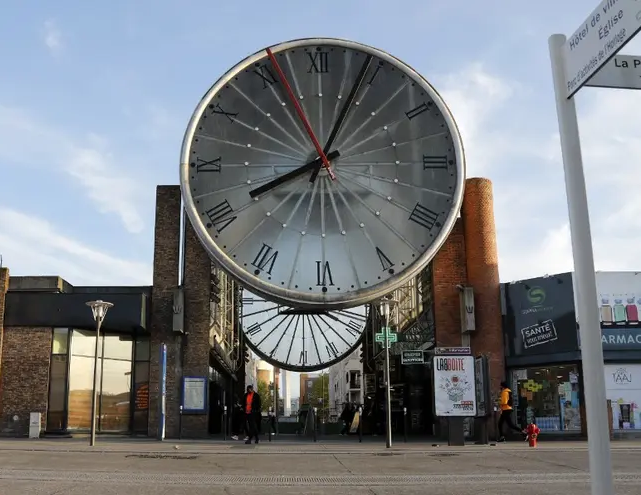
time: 8:04
